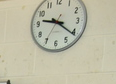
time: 9:20
